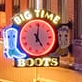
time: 5:01
